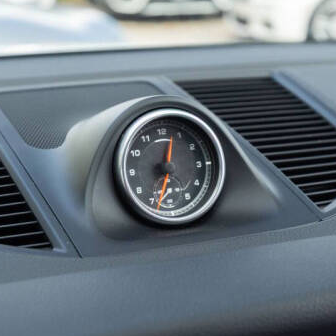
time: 12:33
